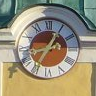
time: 8:35
